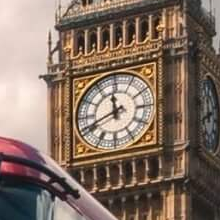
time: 11:41
